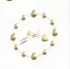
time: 3:40
